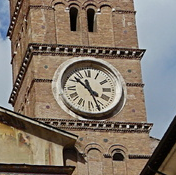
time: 10:26
